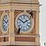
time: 1:50
